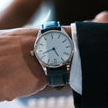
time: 4:42
